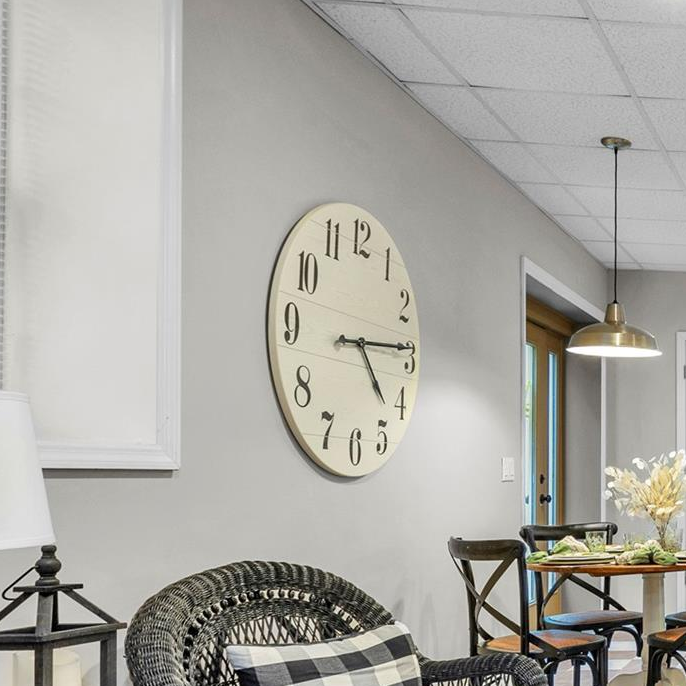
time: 4:14
